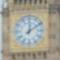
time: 12:09
